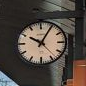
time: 10:04
